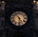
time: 5:54
